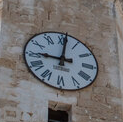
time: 9:01
